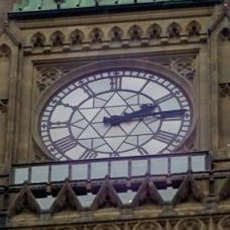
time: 2:14
